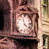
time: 11:21
